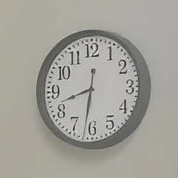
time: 8:31
